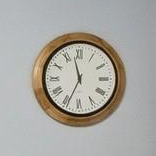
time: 11:34
